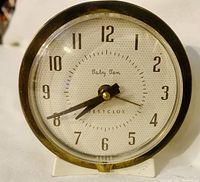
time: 7:40
